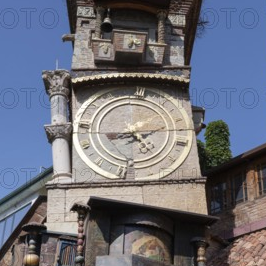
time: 8:11
